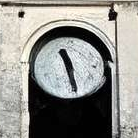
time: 11:28
